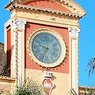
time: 9:34
